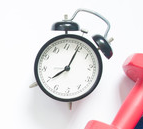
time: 8:05
